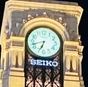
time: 6:42
